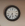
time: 5:35
